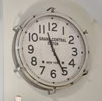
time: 11:25
